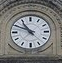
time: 10:49
